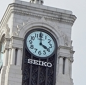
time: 3:59
